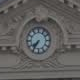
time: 7:35
